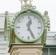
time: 12:25
